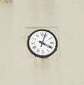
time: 4:03
